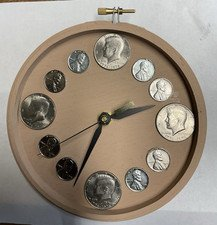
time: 2:34
